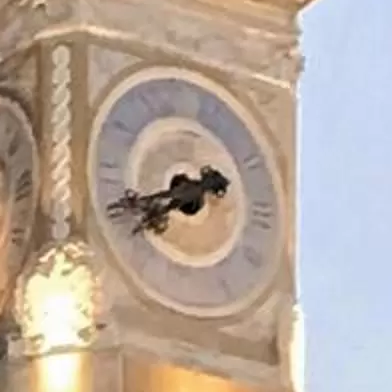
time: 7:41
